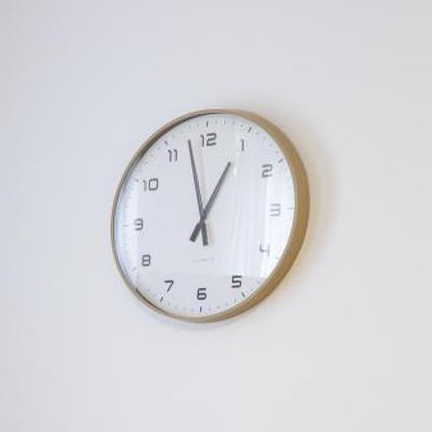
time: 12:57
